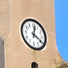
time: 12:19
